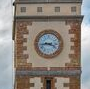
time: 3:43
